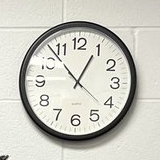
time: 12:53
